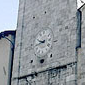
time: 9:42
